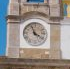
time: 11:21
